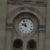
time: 9:56
